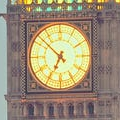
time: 6:52
